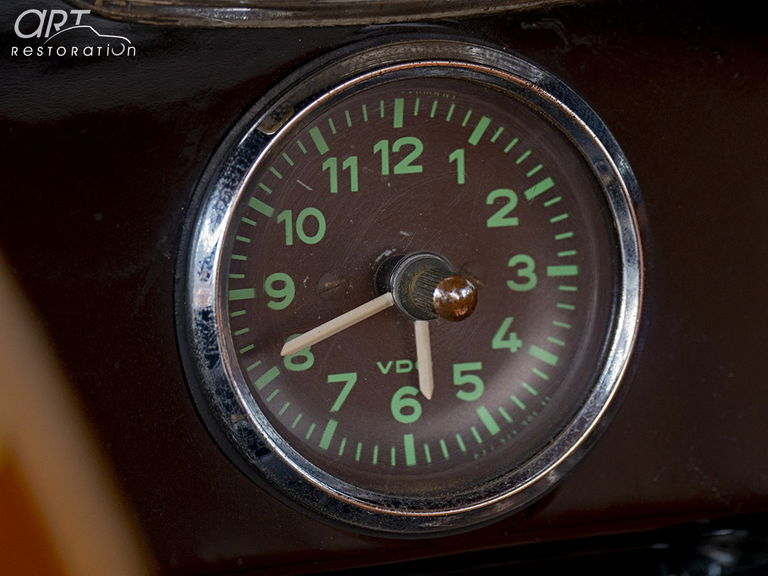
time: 5:40
